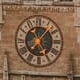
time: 5:06
